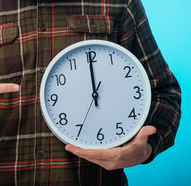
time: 11:59
